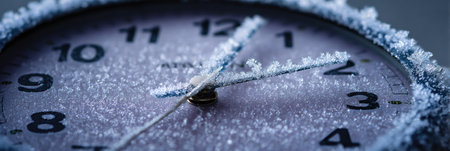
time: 2:02
